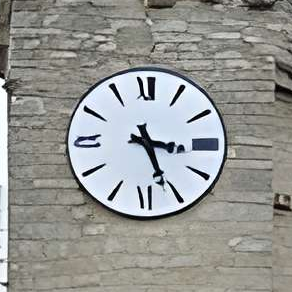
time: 3:26
